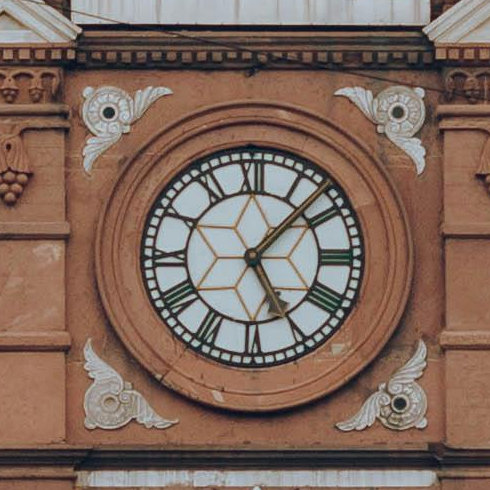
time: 5:07
